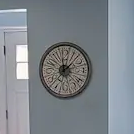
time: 12:07
